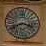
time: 3:40
